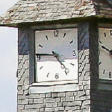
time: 4:46
